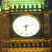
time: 6:12
